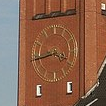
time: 3:43
